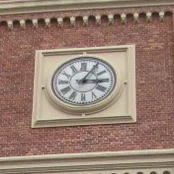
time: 3:05
